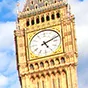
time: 5:11
